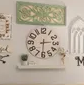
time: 2:30
